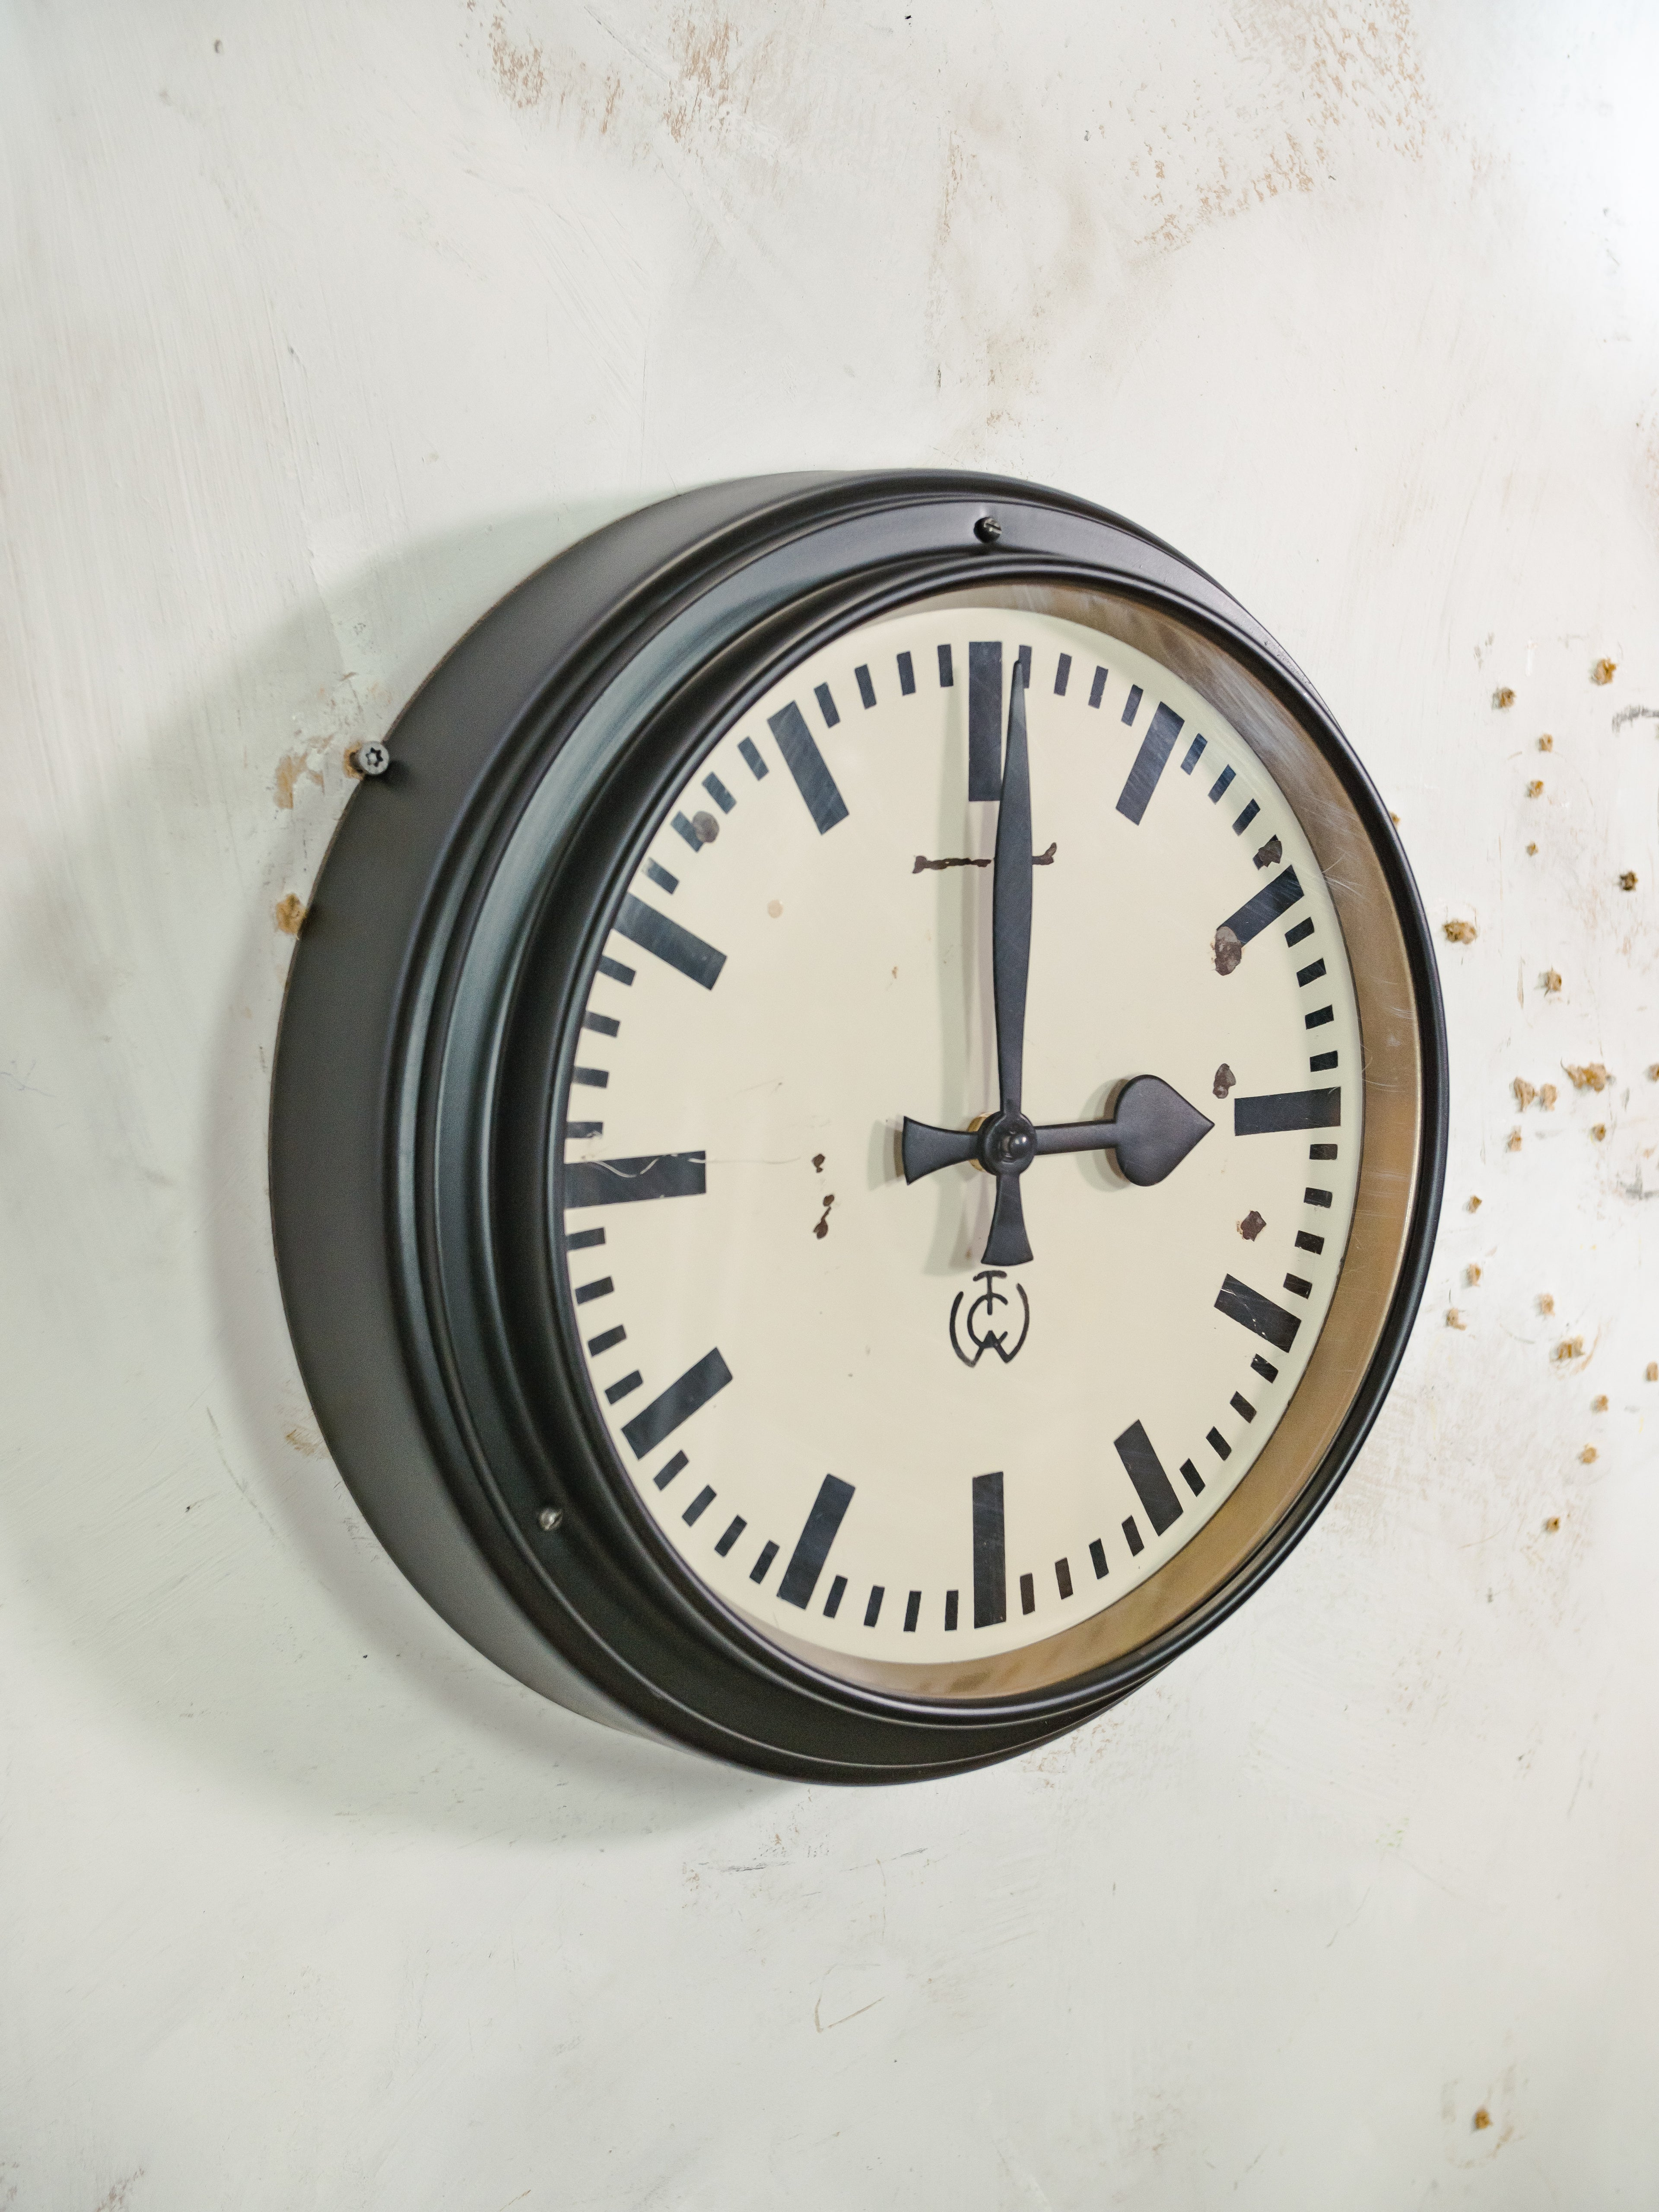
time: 3:00
